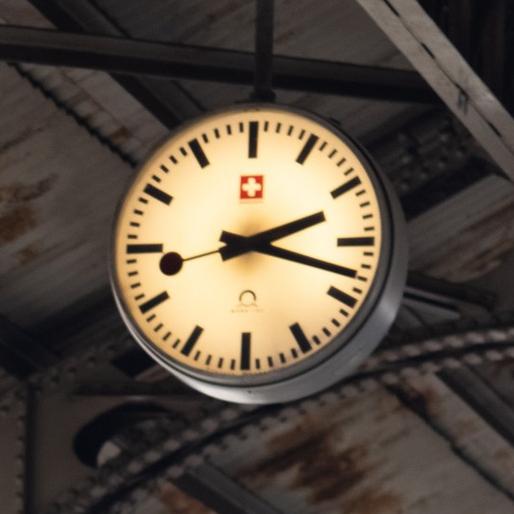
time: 2:18
